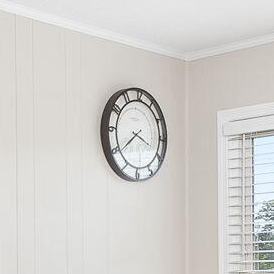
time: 3:38
